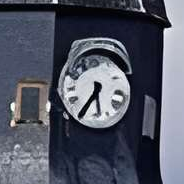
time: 5:35
